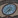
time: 7:37
